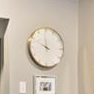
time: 11:49
